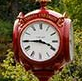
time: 3:44
